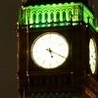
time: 5:19
